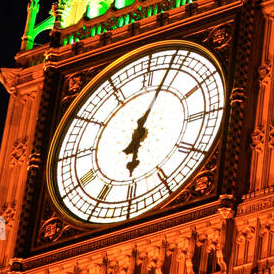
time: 6:03
